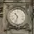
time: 10:32
